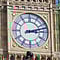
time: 3:12
